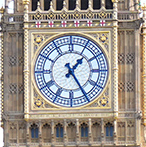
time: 1:24
